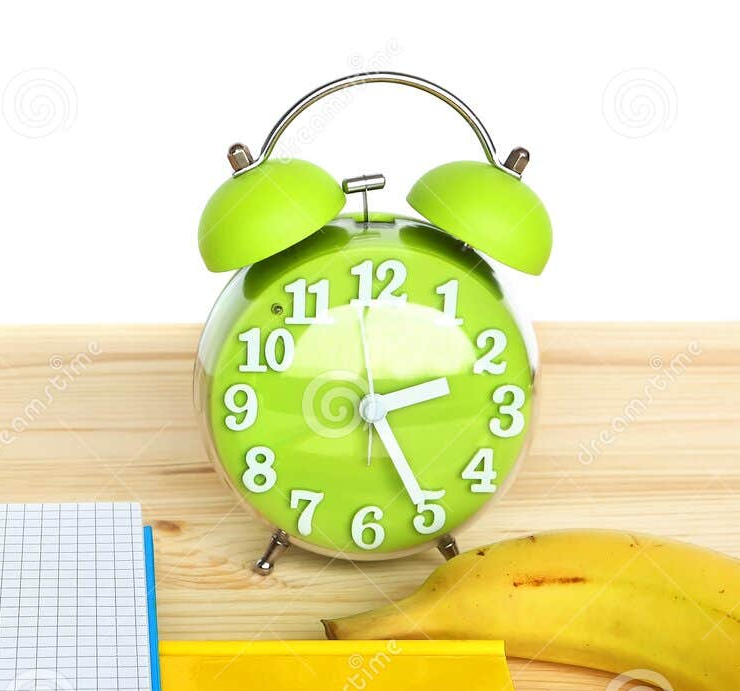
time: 2:24
